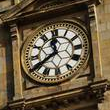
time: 11:40
